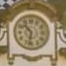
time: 10:32
